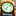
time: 7:07
